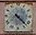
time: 4:22
